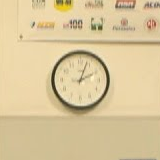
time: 2:03
